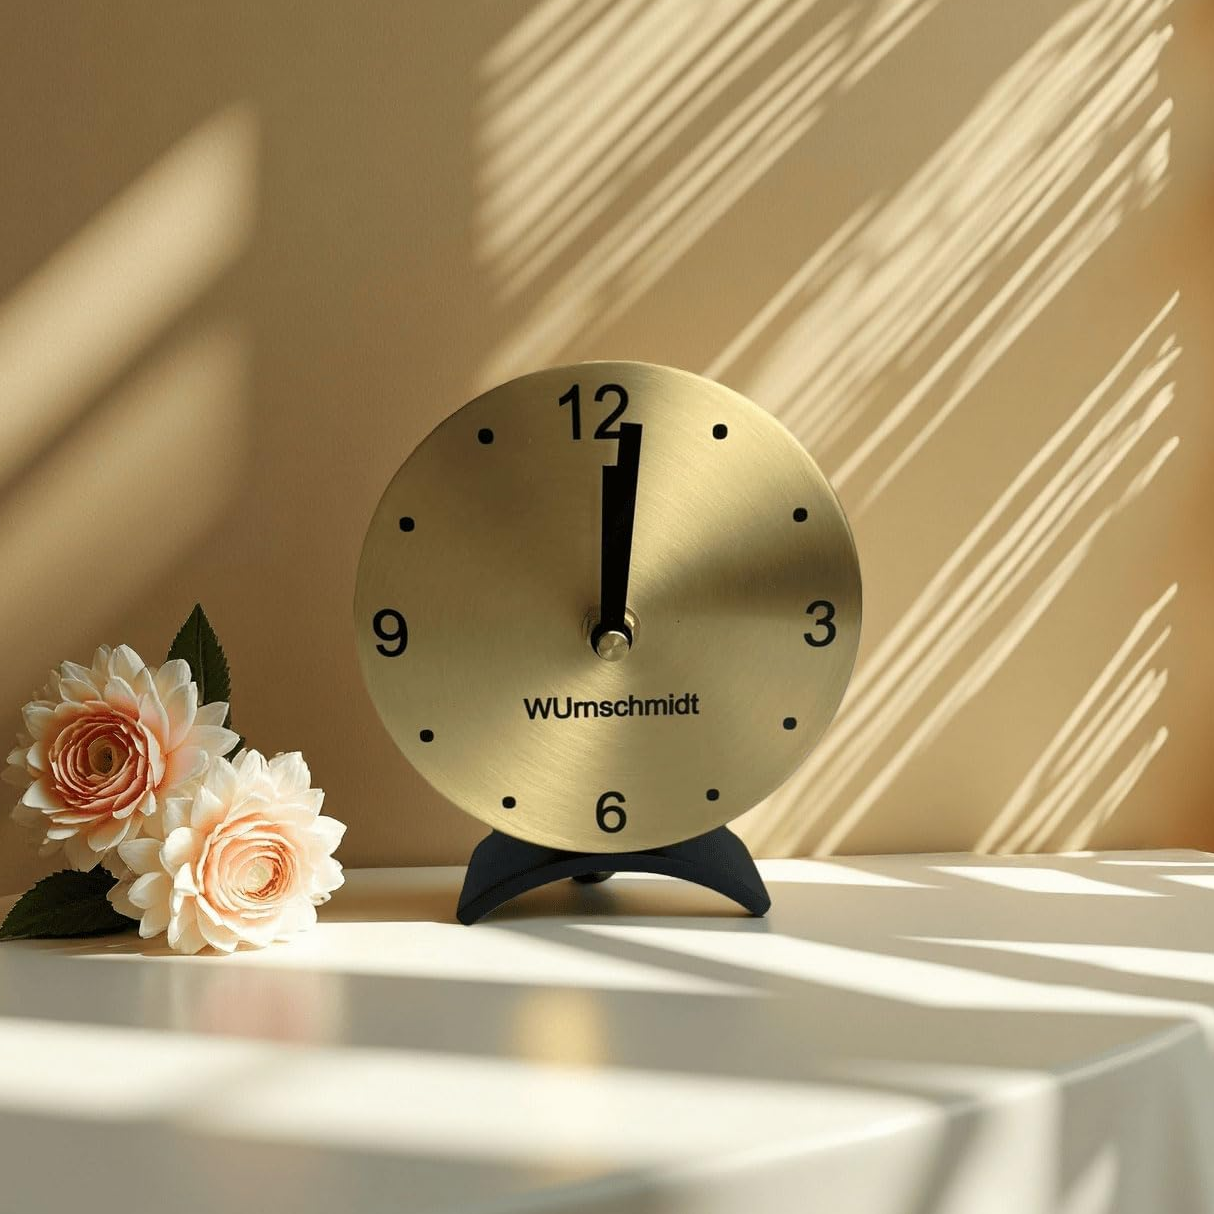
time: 12:01
